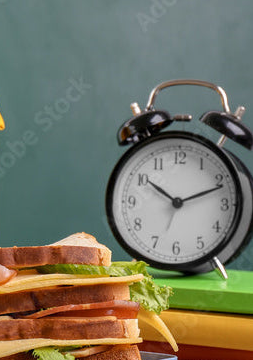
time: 10:11
